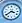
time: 3:39
